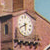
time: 5:40
